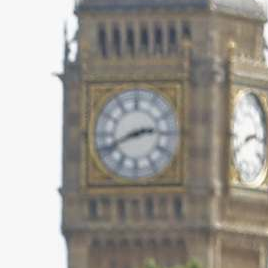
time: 2:41
